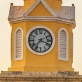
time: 7:18
